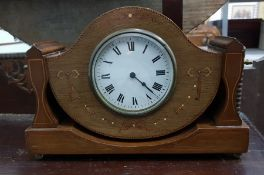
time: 4:22
